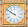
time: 9:50
